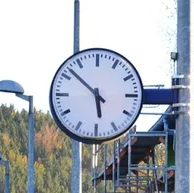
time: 5:51
